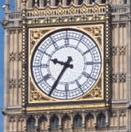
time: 9:35
